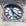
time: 11:21
